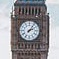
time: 2:06
